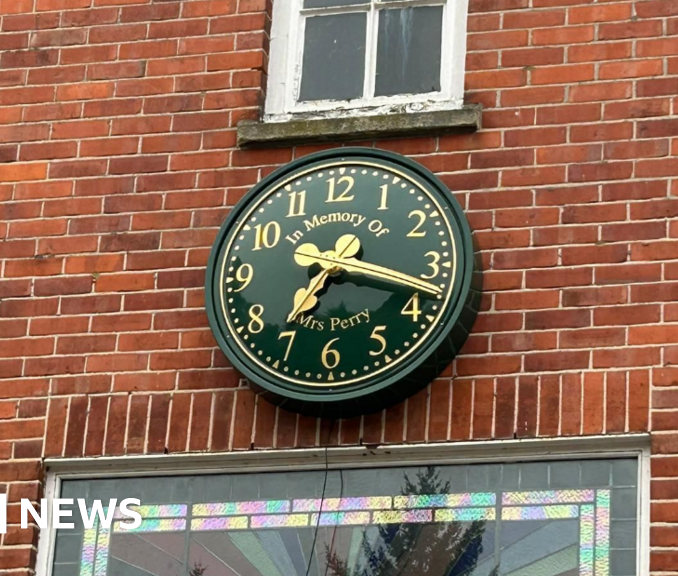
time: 7:17
